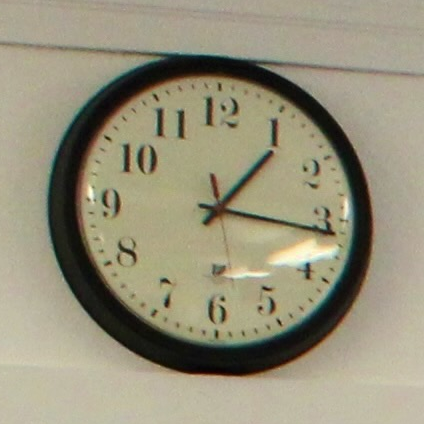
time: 1:16
